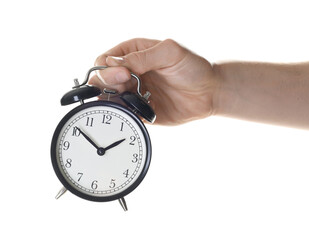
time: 1:51
